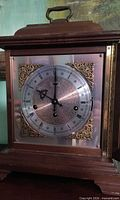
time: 10:00
